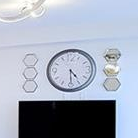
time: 4:29
